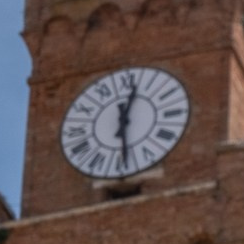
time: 12:28
